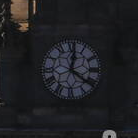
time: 12:21
